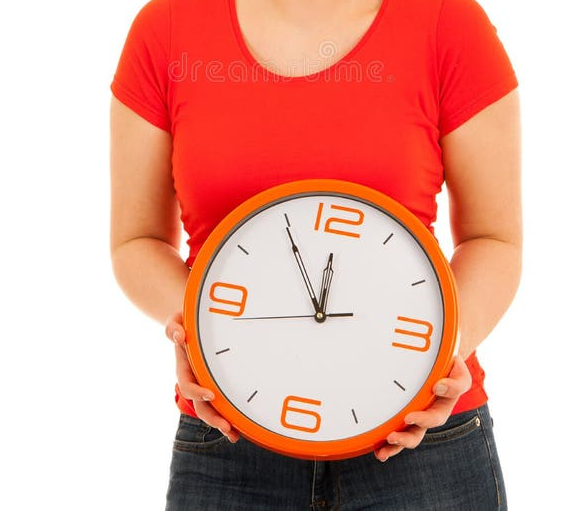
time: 11:54
